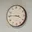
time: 3:45
